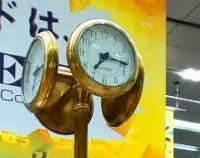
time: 7:16
